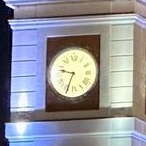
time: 9:34
